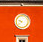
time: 9:38
